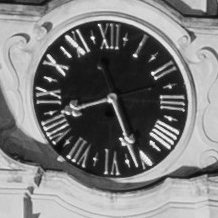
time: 8:26
